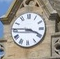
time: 3:45
